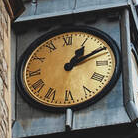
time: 1:10
